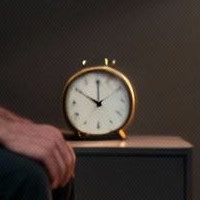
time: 10:00
